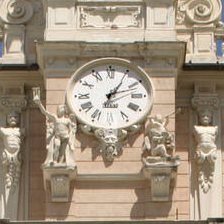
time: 1:11
